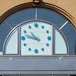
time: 10:47
